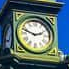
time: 2:48
